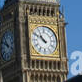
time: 10:50
